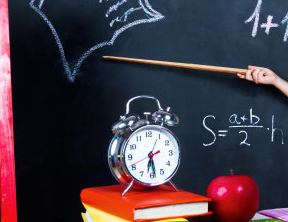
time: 6:28
